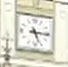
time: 5:15
